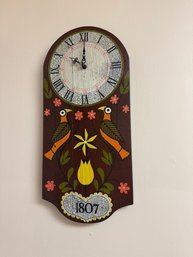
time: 10:00
